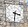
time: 3:31
